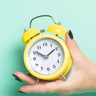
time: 10:09
